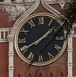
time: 1:40
